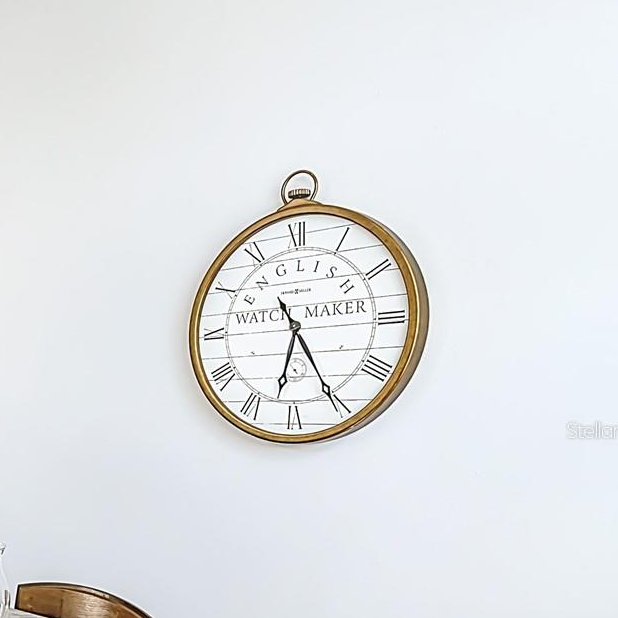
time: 6:25
